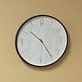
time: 10:24
